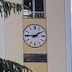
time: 1:45
